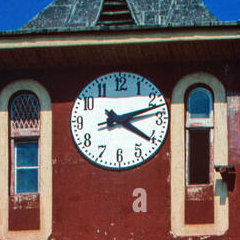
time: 4:11
